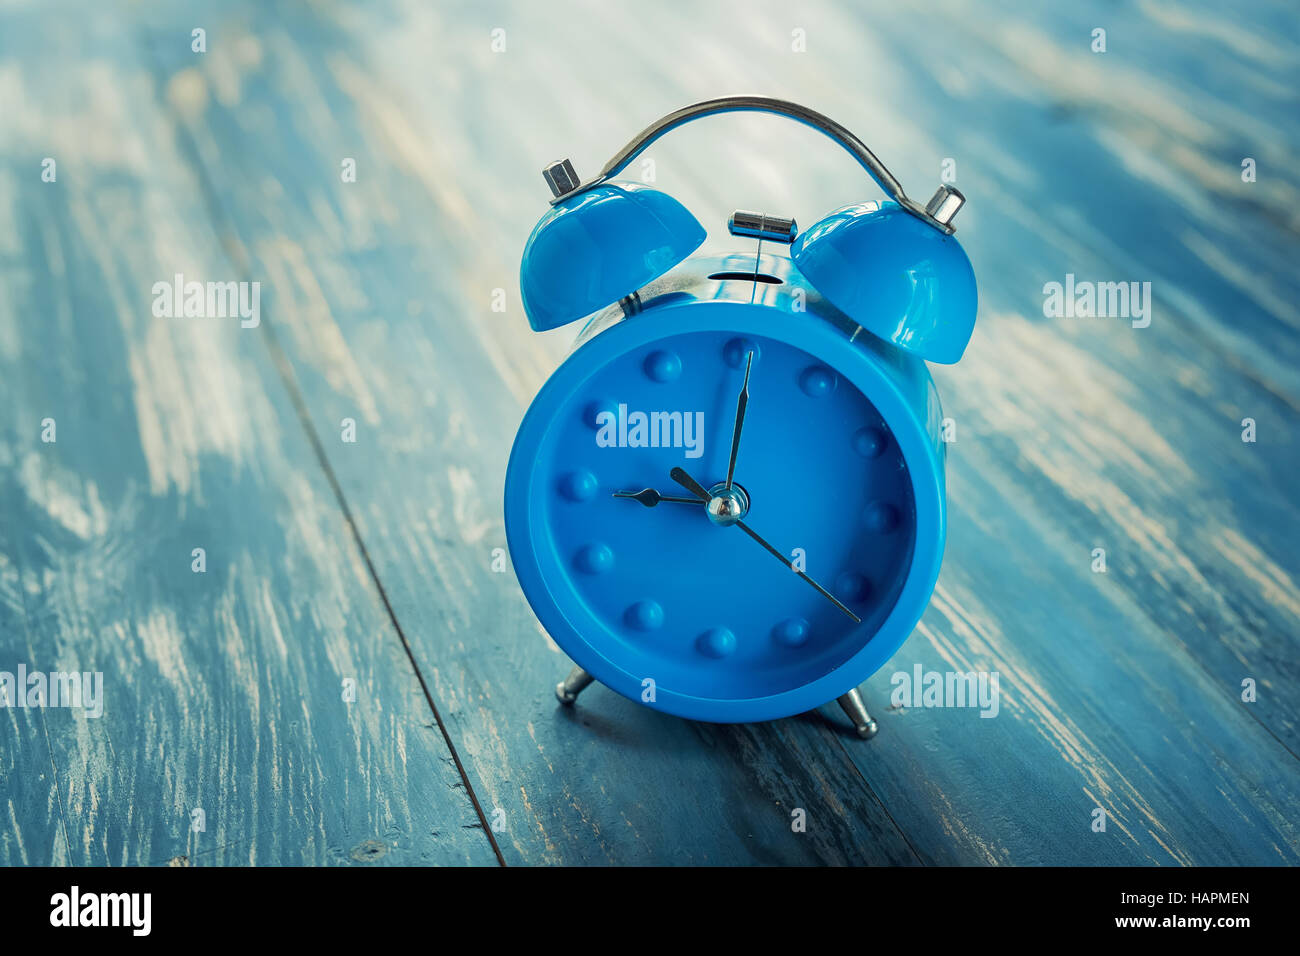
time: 9:01
